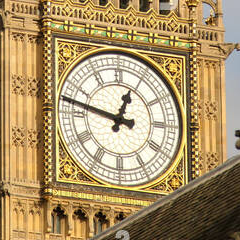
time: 12:47
